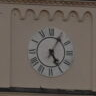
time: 5:05
